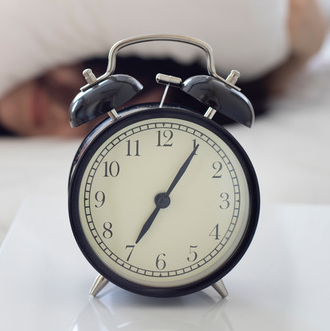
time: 7:05
